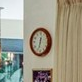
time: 12:33
